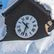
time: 10:33
